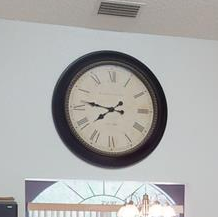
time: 7:46
